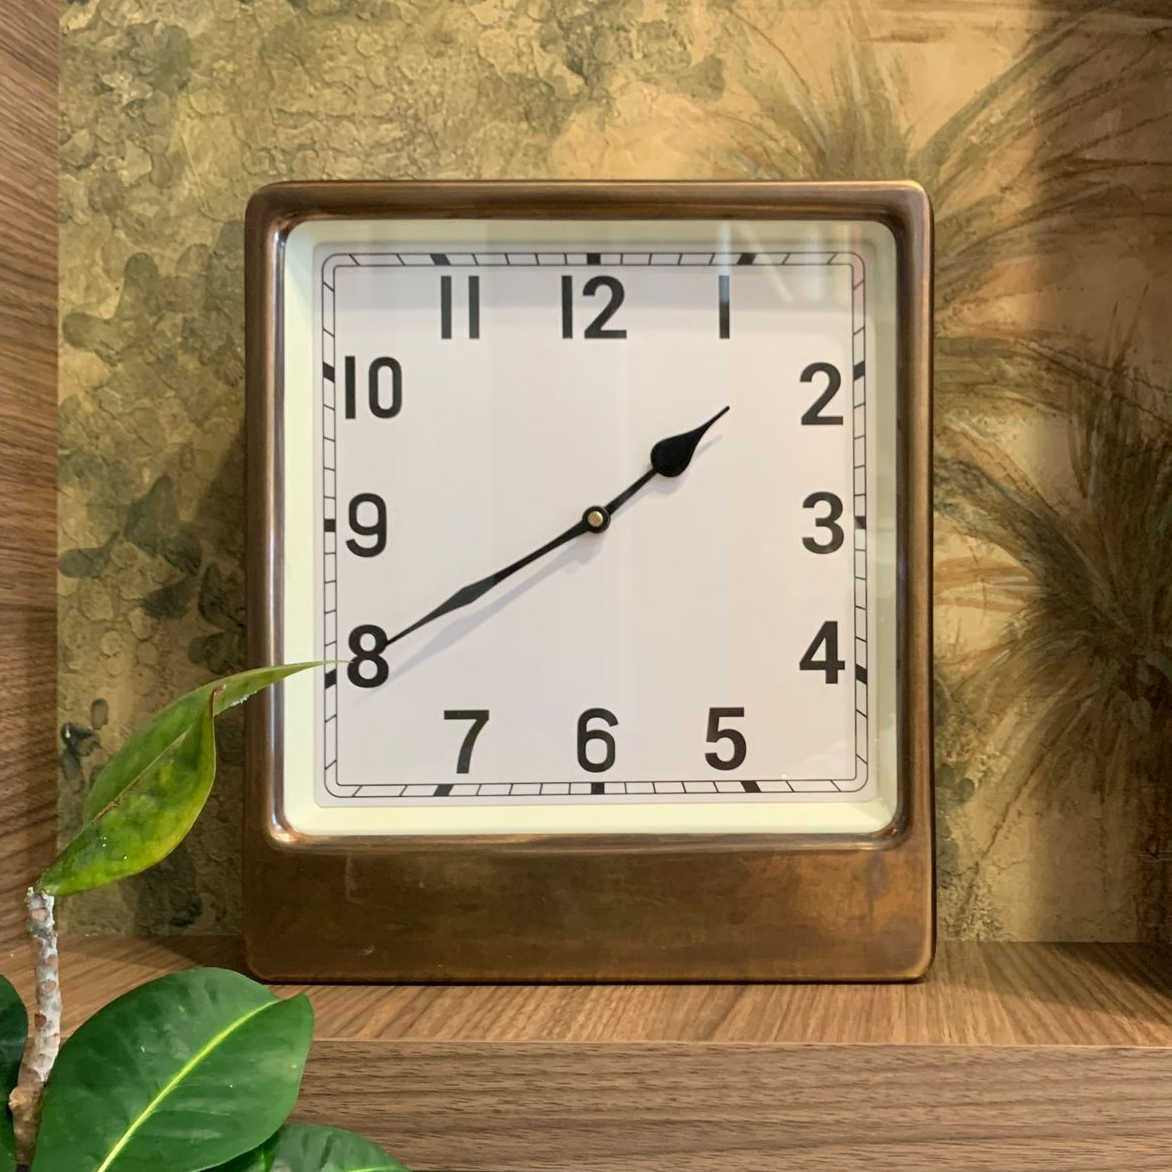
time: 1:40
